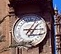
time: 1:16
